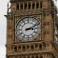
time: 3:11
